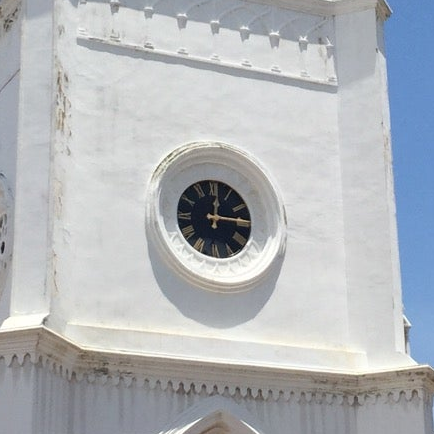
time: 12:14
